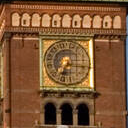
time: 7:16
